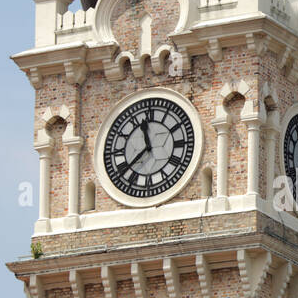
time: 11:37
